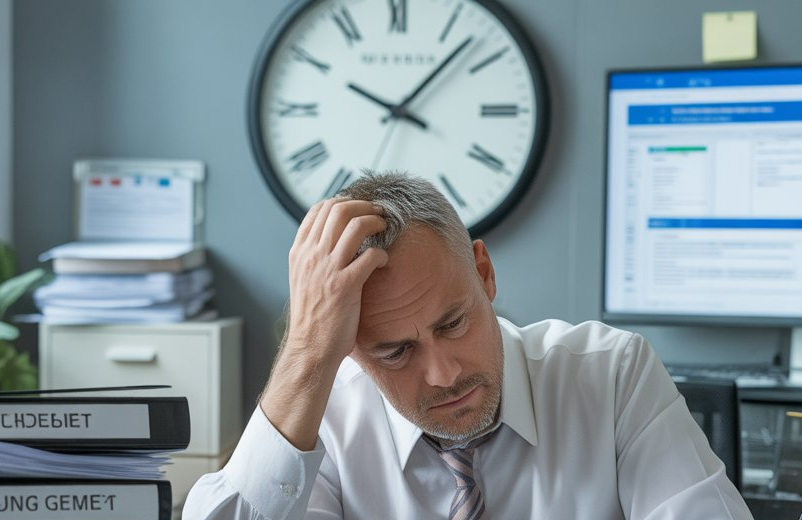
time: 10:07
